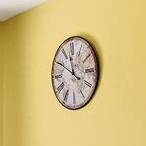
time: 11:50
